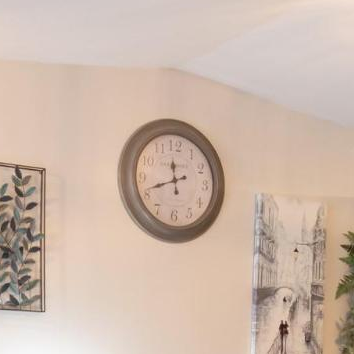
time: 11:41
